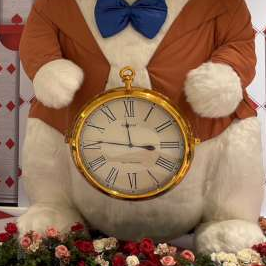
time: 11:46
